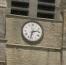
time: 2:32
